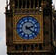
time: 2:21
